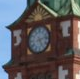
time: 5:12
